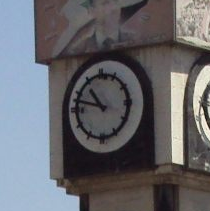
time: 10:47
